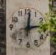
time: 12:13
